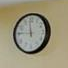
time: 11:45
